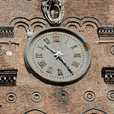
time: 10:24
